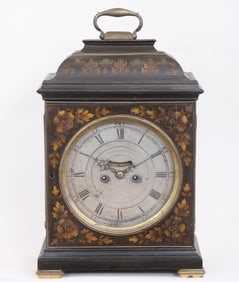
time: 8:49
